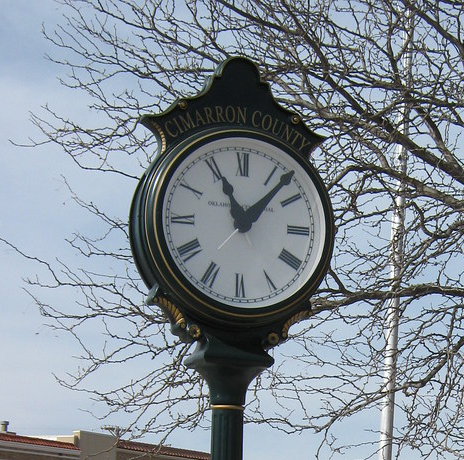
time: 11:07
